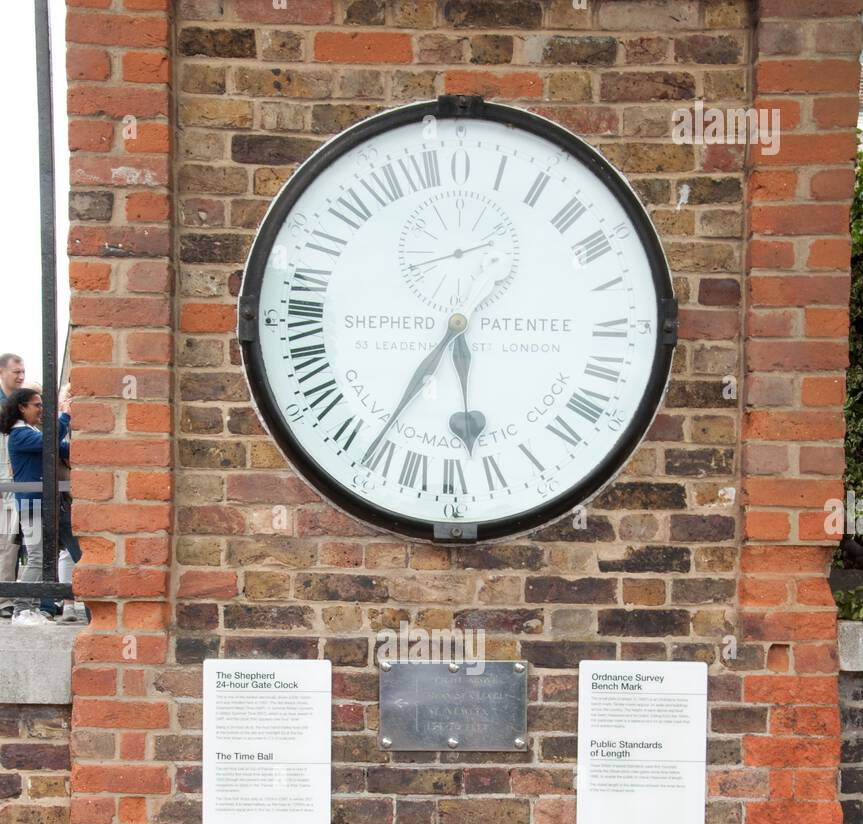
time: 5:35
